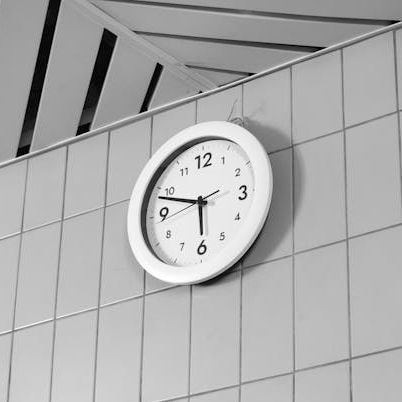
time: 5:48
